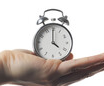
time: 3:59
